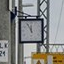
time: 11:55
